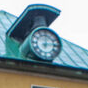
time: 12:13
